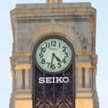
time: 4:32
